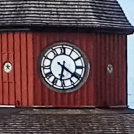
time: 6:21
